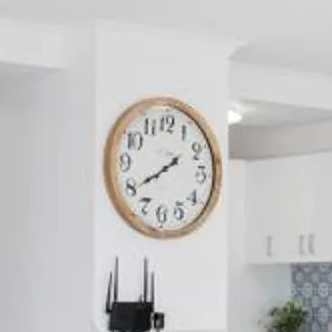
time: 1:39
